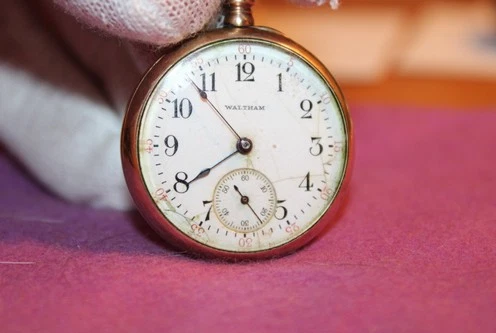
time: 7:53
